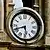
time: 5:41
